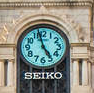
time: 4:57
